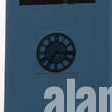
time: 7:15
